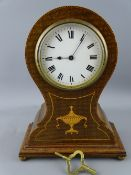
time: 9:05
